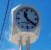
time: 11:21
